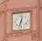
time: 12:32
